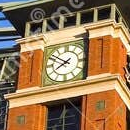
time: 7:50
